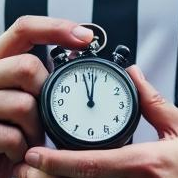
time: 11:57
